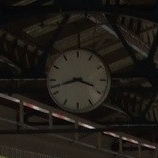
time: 3:42
